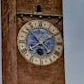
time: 7:52
